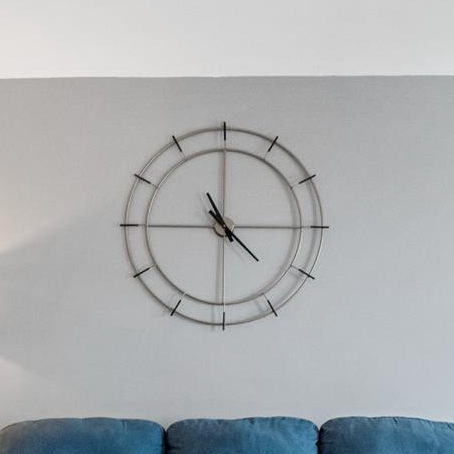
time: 10:45
